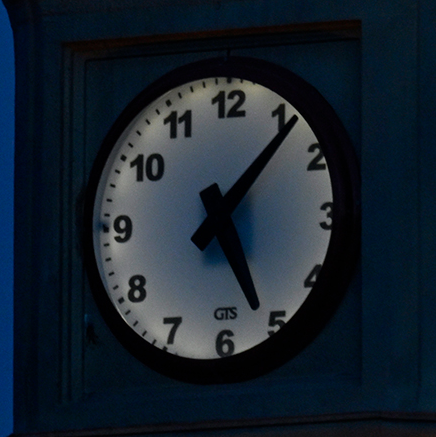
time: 5:06
